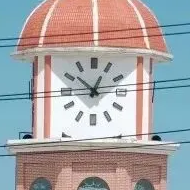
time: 12:51
